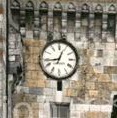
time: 12:43
